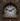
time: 1:47
